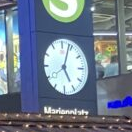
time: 5:03
